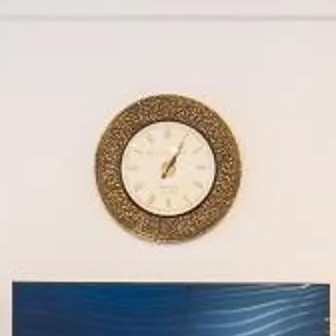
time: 1:04
